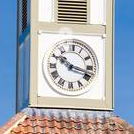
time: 10:17
